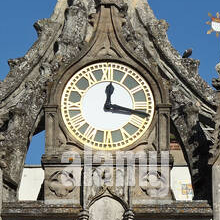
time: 12:16
